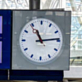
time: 11:13
